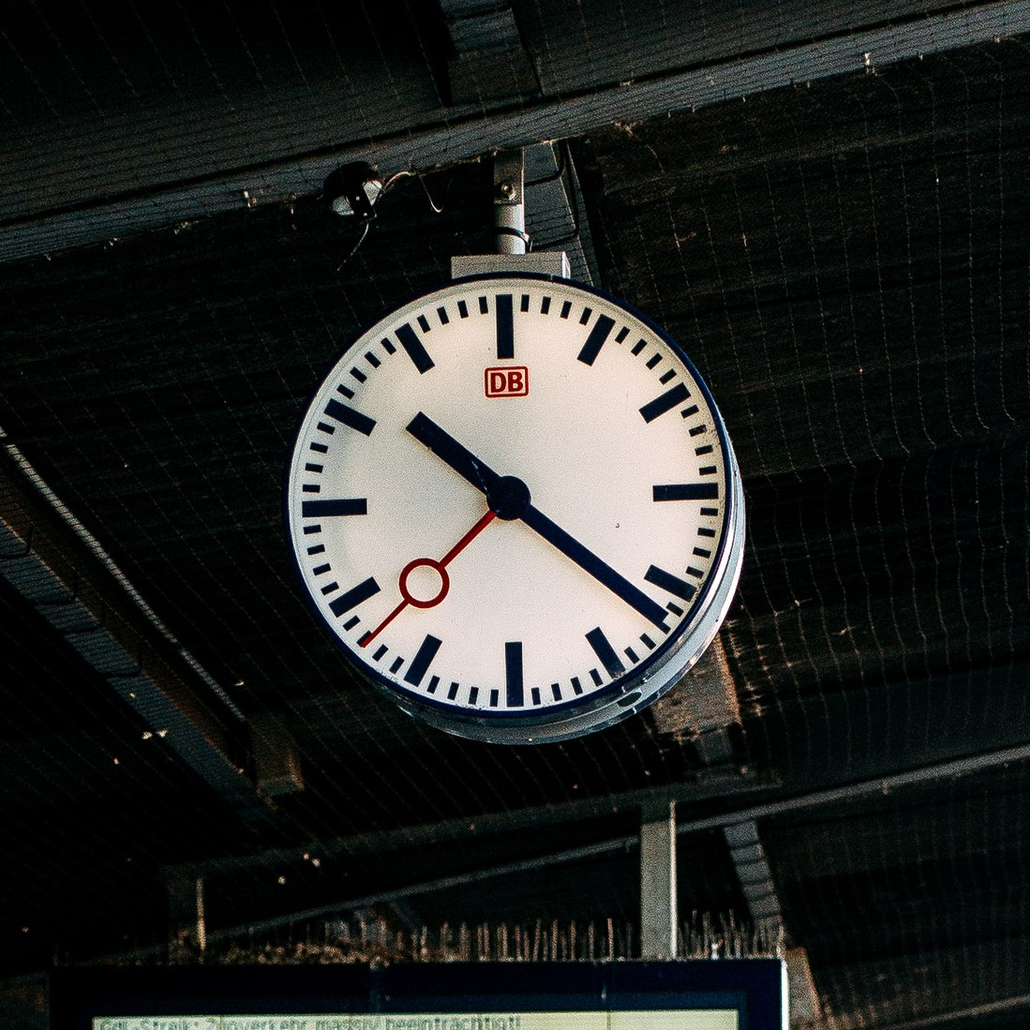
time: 10:21
